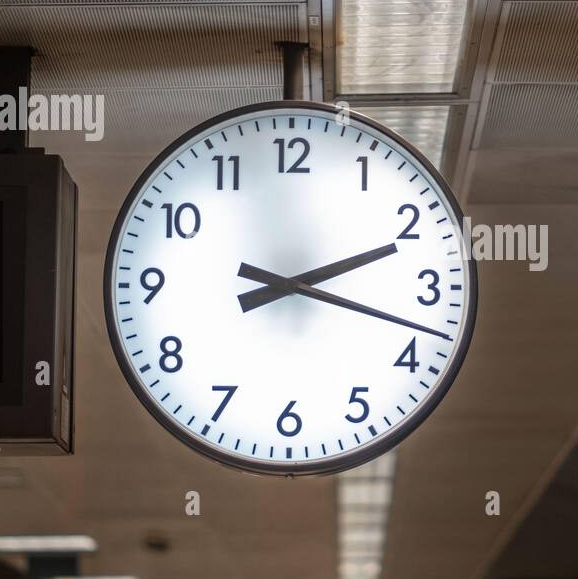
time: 2:17
